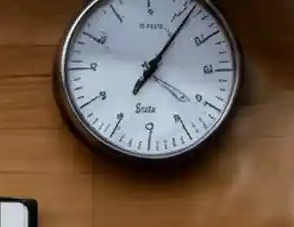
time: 7:06
